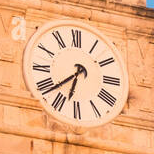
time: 6:38
